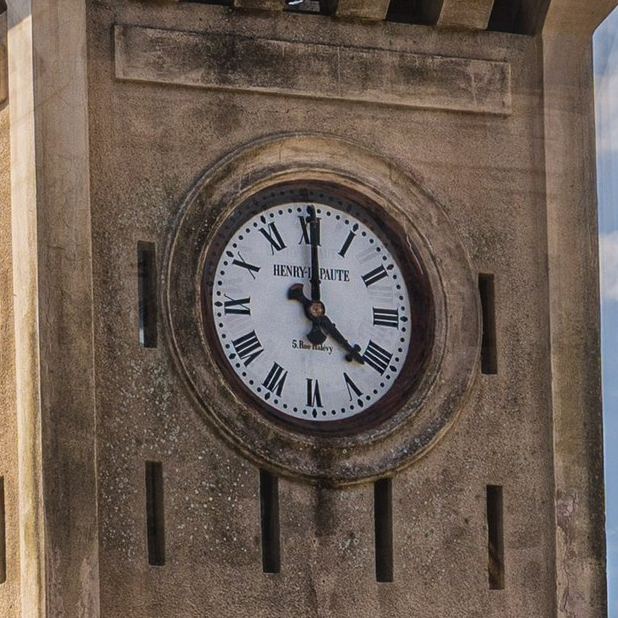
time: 4:00
